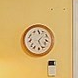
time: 1:26
